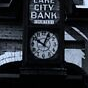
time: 10:04
